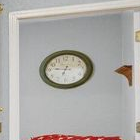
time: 6:46
